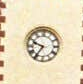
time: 9:35
